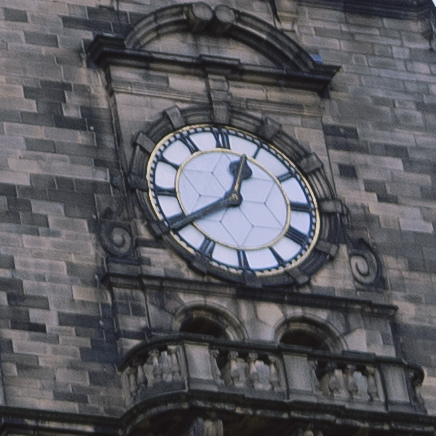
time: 12:40
